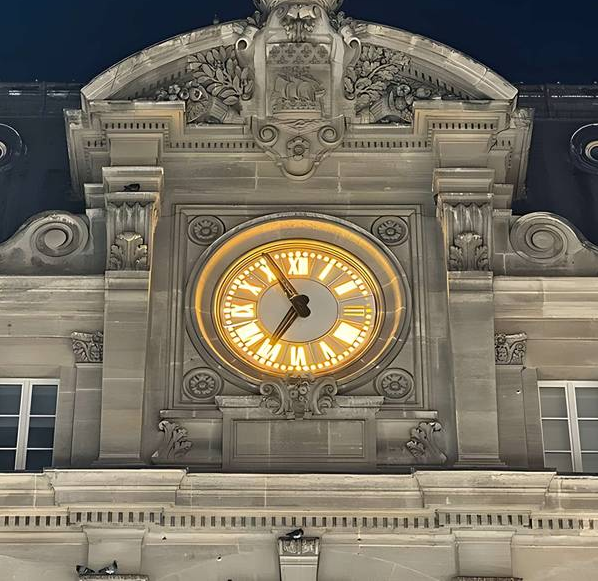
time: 6:55
